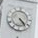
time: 4:23
